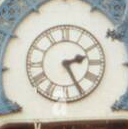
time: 2:25
